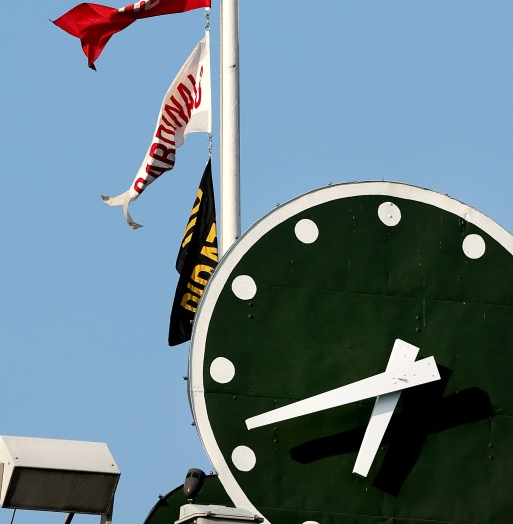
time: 6:41
